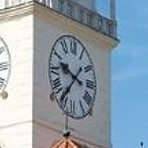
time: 9:36
